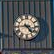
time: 4:44
